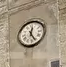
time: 12:25
